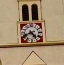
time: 4:40
